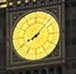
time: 8:07
